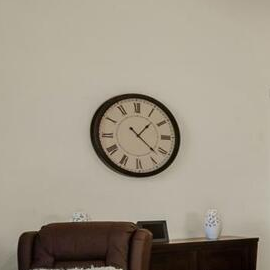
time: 1:22
